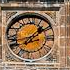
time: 1:42
